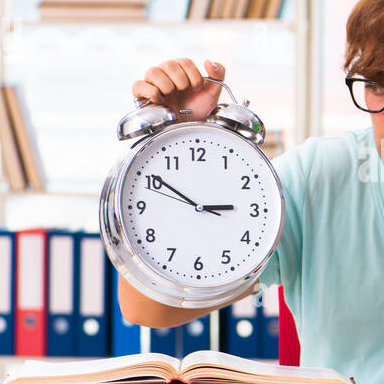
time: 2:50
